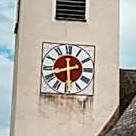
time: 5:42
